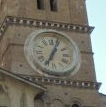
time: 7:03
